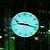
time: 9:18
